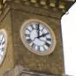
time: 2:00
